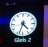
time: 4:33
